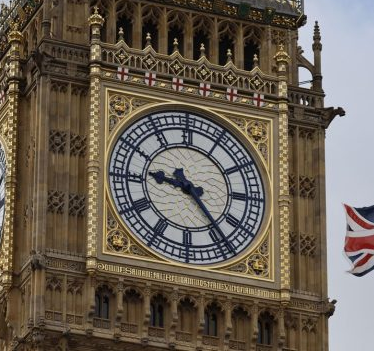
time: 9:23
